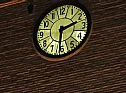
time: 2:31
